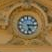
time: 5:14
